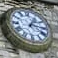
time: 1:16
